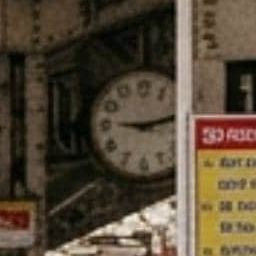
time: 9:12
